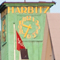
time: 9:34
